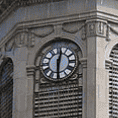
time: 12:29
